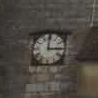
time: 2:59
